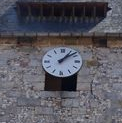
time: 1:08
